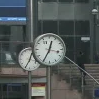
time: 12:34
